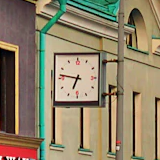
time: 6:46
